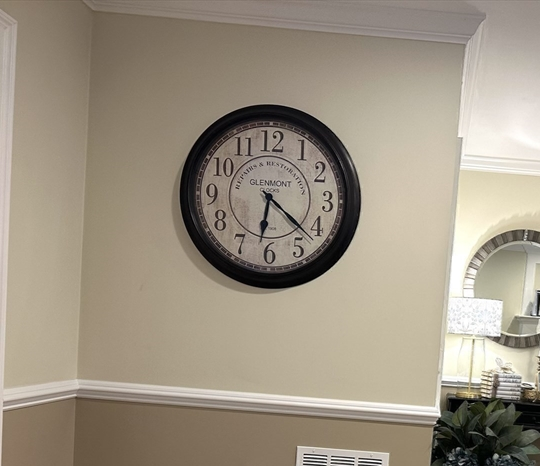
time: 6:21
